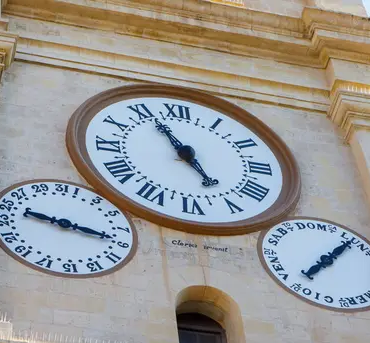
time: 4:55
